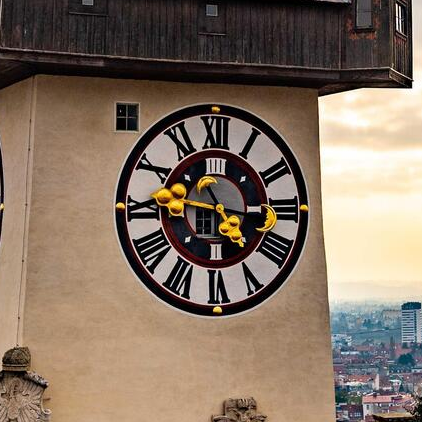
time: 4:46
